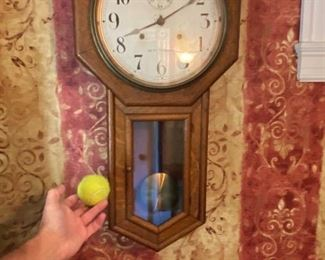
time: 8:09
